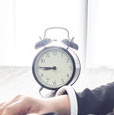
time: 8:45
